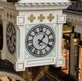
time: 1:19
